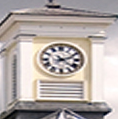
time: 2:21
